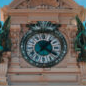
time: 1:20
